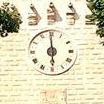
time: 5:59
